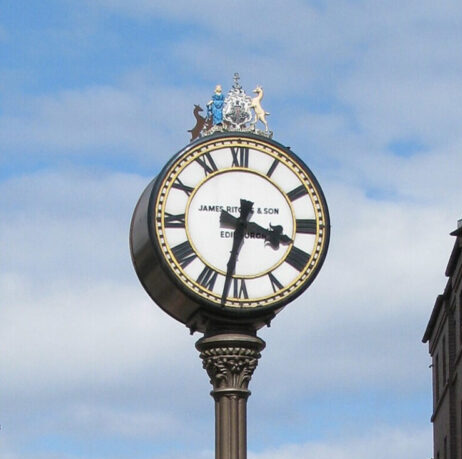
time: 3:32
